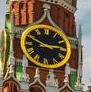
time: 2:48
